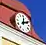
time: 12:11
